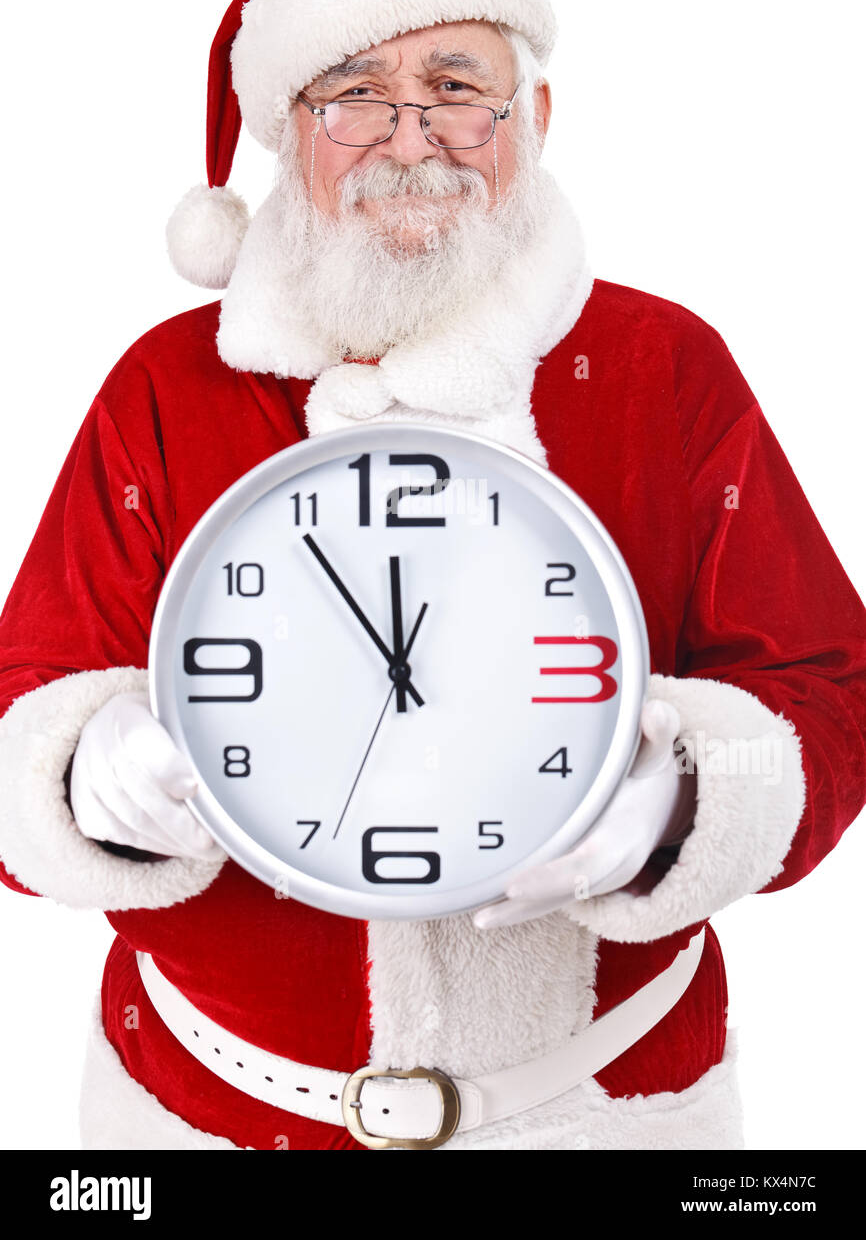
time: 11:53
